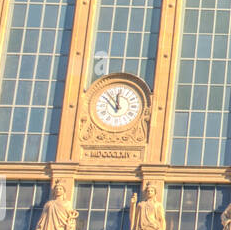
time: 11:52
